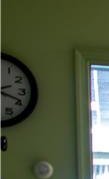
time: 2:18
